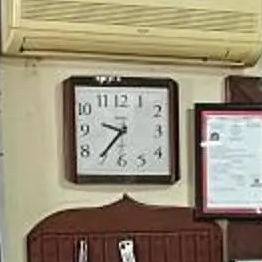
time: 9:36
